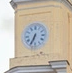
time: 6:34
